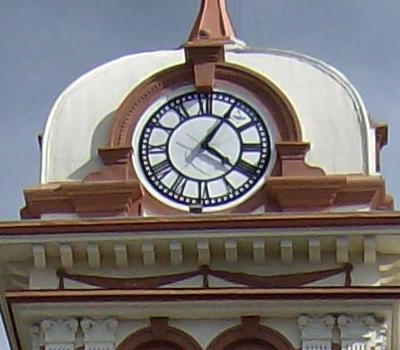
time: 4:05
